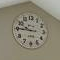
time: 9:45
